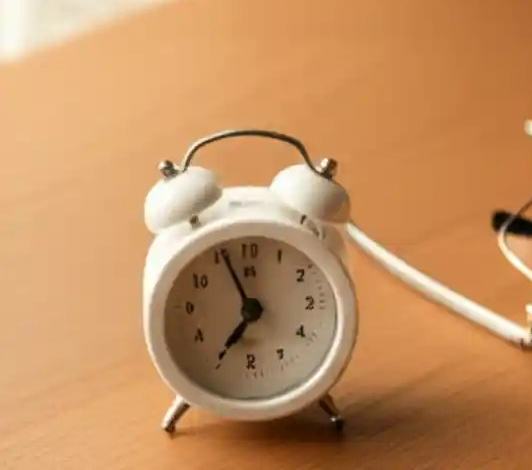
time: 6:56
